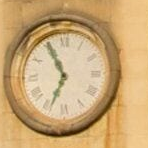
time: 6:55
